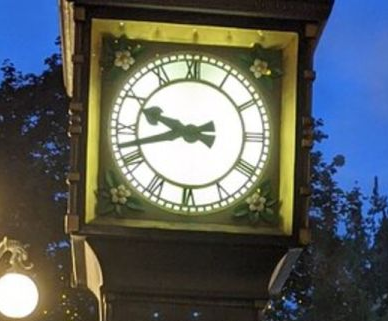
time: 9:42
